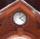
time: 4:08
